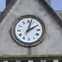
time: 2:02
